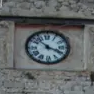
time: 3:52
